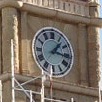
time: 1:16
